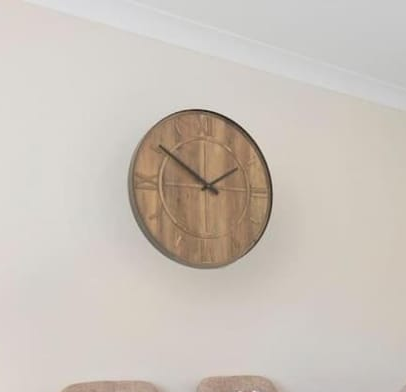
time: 1:51
